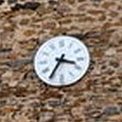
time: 3:35
